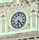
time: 6:23
